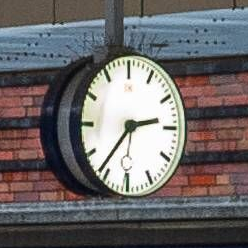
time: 2:36
